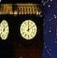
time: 12:09
